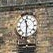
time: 11:30
